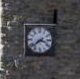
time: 3:38
